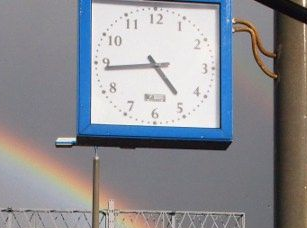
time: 4:44
